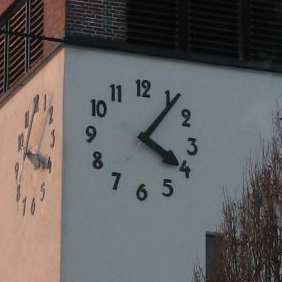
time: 4:06
